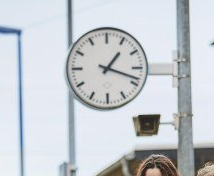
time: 1:18
